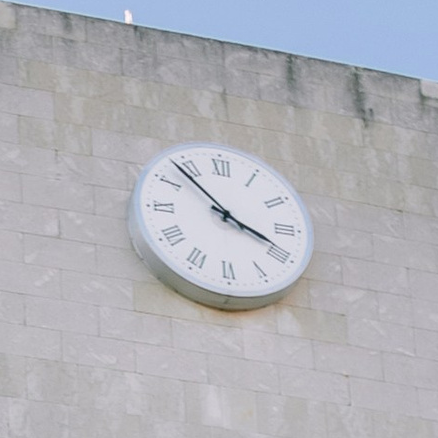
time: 3:53
